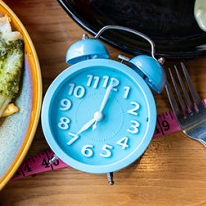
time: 7:00
